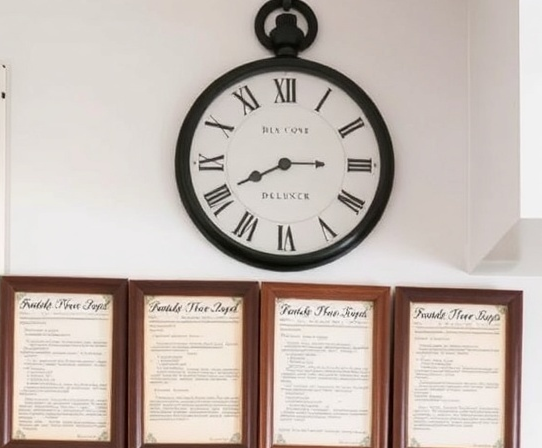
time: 8:14
